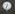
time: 6:32
